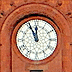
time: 11:55
